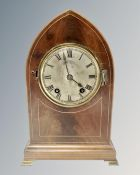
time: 3:57
